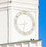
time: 8:32
